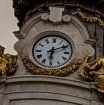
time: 6:10
